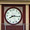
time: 8:16
